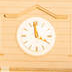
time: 3:58
